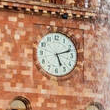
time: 5:11
